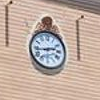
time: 2:43
